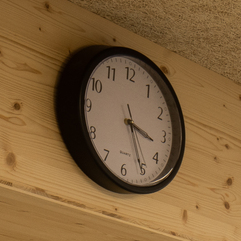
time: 3:25
